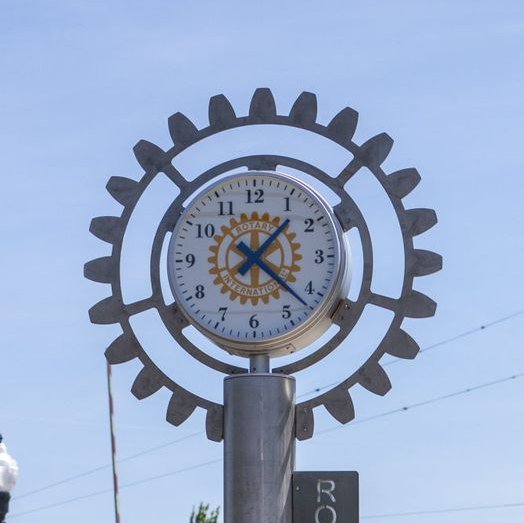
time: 1:21
